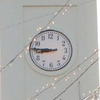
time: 8:45
